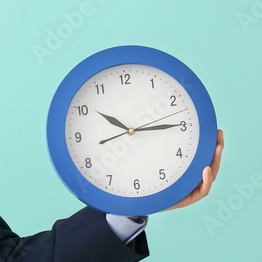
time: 10:14
